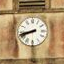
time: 8:42
